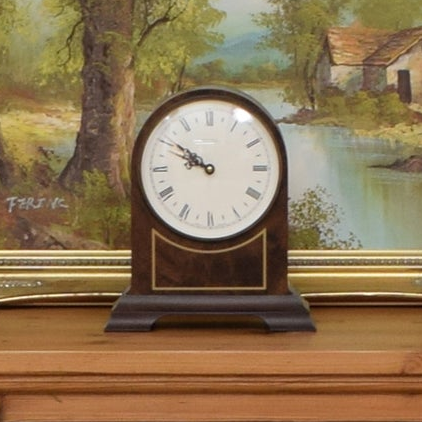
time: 9:50
